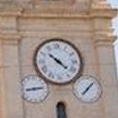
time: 10:21
